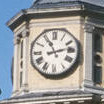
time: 11:12
